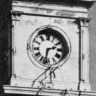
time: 2:32
